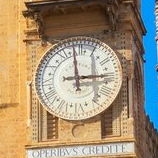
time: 2:58
